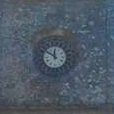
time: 11:49
